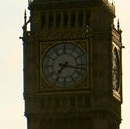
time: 7:17
